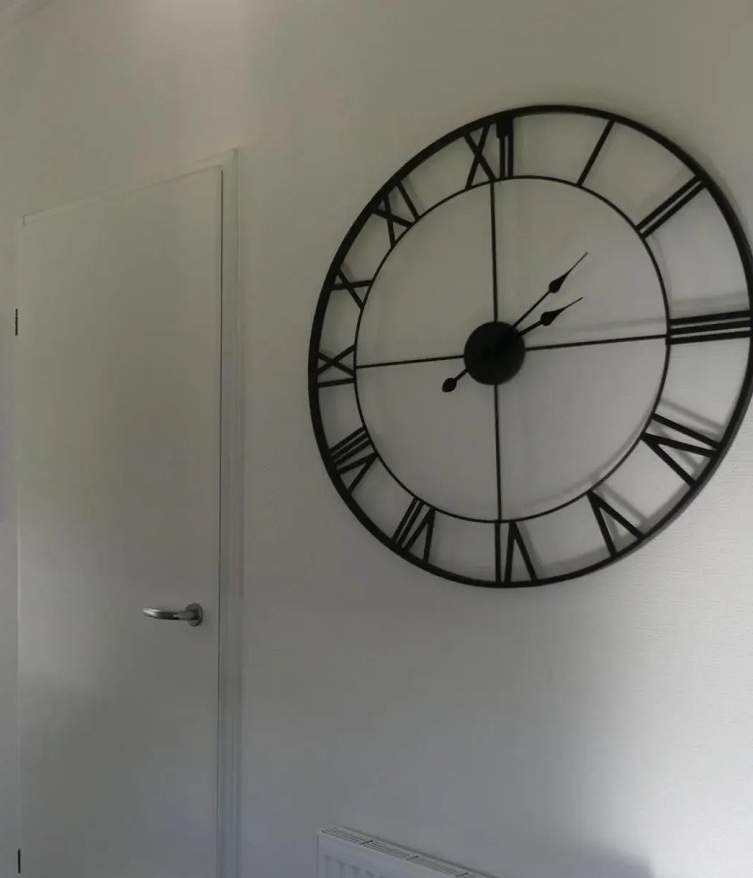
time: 2:00
